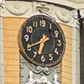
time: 6:40
